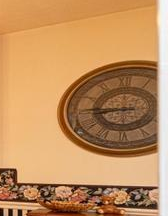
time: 8:45
